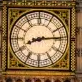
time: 8:14
